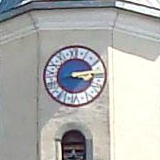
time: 3:13
